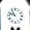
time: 10:47
